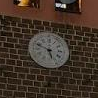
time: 5:48
